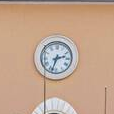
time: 2:33
